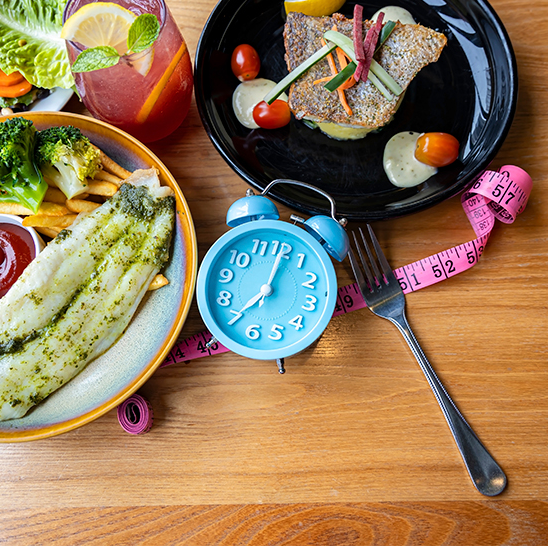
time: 7:00
